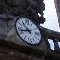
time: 10:42
